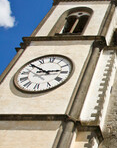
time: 2:50
